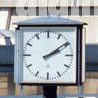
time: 2:09
